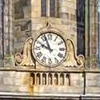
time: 9:56
